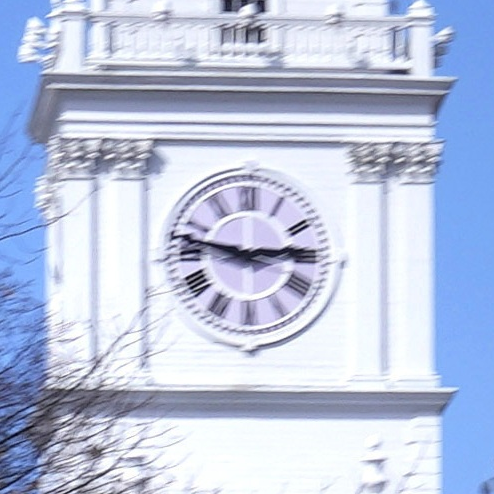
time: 2:46
